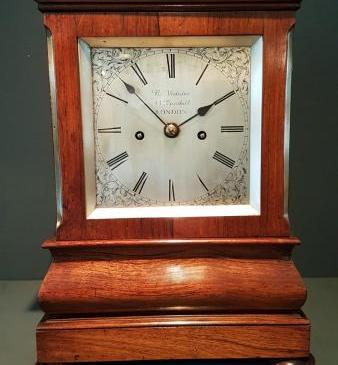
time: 1:52
